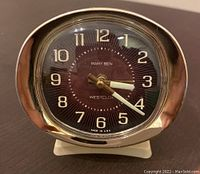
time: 3:21
